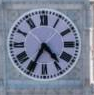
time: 4:35
